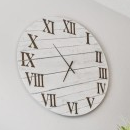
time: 6:53
